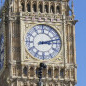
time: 3:12
